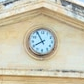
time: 7:55
